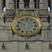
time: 5:51
